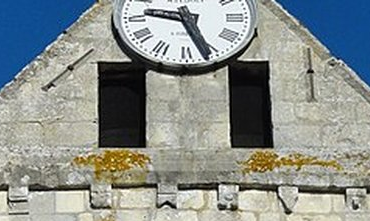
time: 9:26
